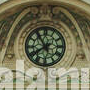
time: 7:54
